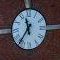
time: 11:36
